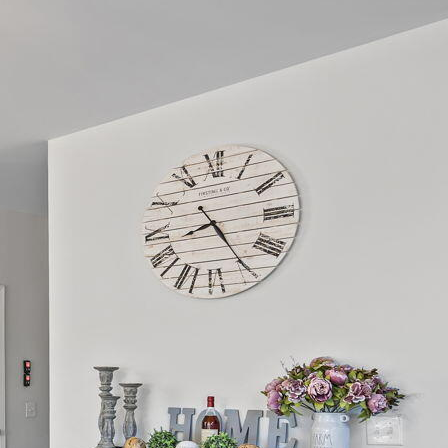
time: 8:24
